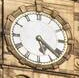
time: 5:21
